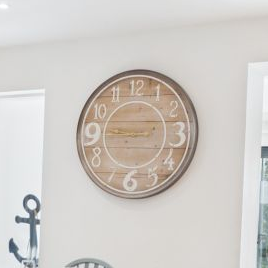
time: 8:45
